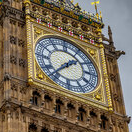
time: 1:37
